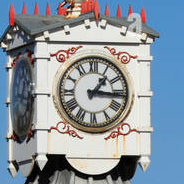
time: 1:16
